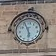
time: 5:56
